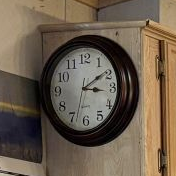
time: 3:09
